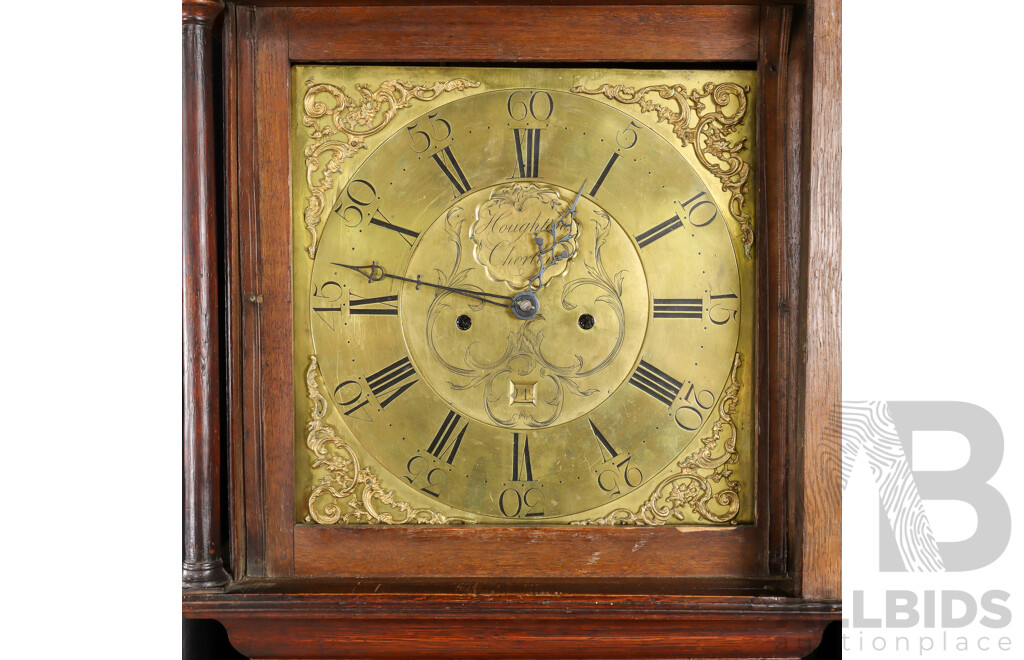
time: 12:46
